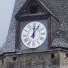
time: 12:05
